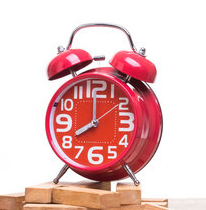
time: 7:59
